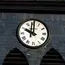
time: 10:00
